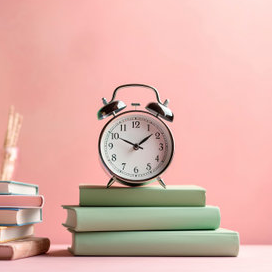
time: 1:49
